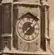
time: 1:37
